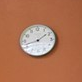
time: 1:42
